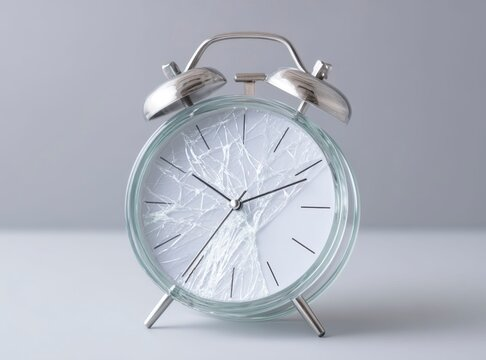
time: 10:11
